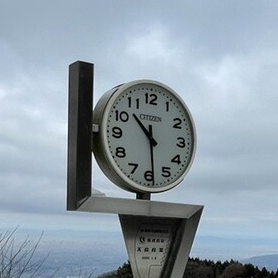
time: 10:29
